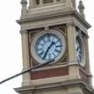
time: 1:35
